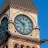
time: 5:51
